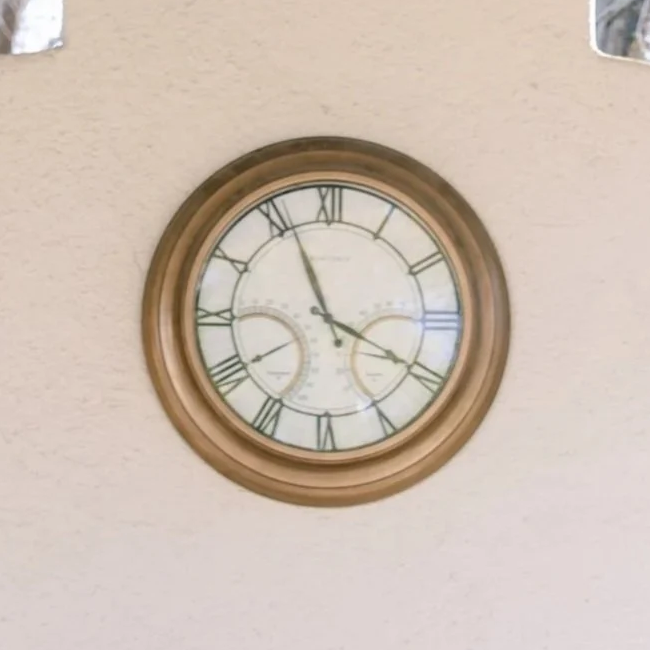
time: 11:19
